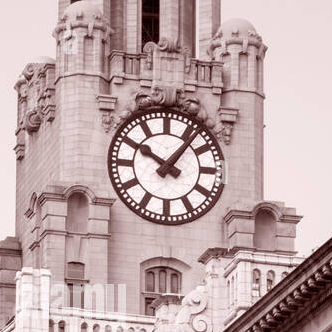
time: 10:06
